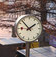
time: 1:52
